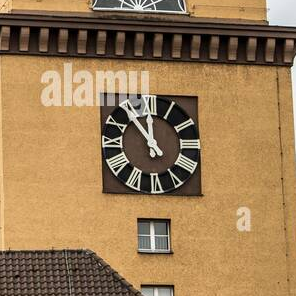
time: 11:53
